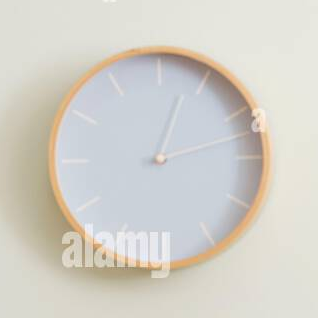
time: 1:03
